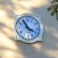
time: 3:54
